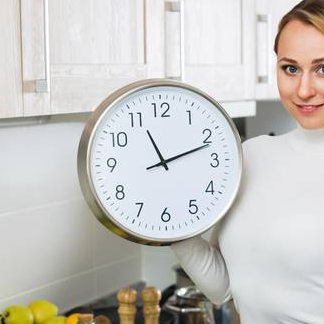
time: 11:11
